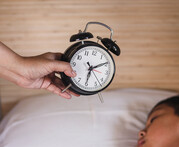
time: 6:10
